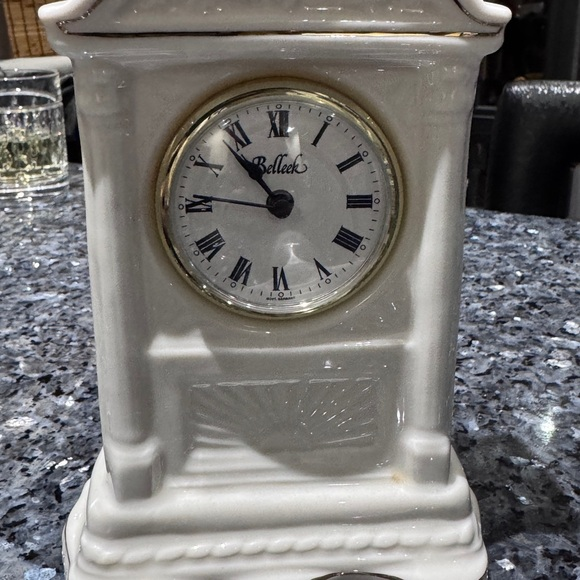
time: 10:45
